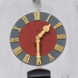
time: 1:30
